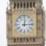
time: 12:14
